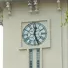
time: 12:26
